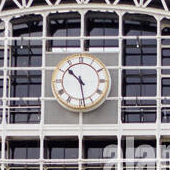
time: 10:28
